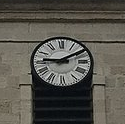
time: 9:10
